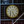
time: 5:26
